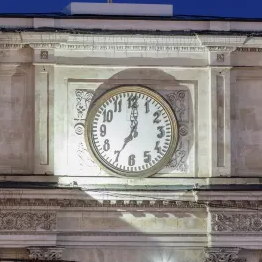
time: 7:00
